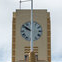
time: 9:50
